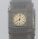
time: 8:01
